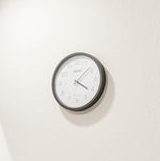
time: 4:08
